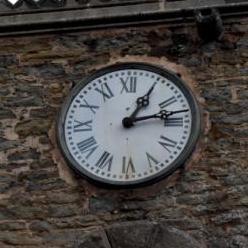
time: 1:13
